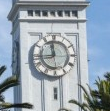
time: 11:44
